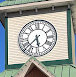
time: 5:37
